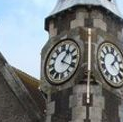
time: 1:20
